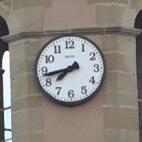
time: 7:43
